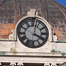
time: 4:02
